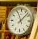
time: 11:07
